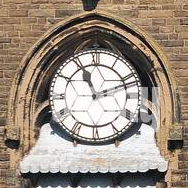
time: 11:11
